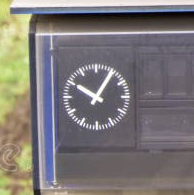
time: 10:05
